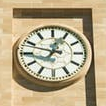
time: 12:48
